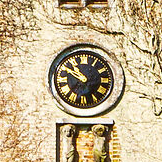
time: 10:50
